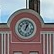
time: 1:02
